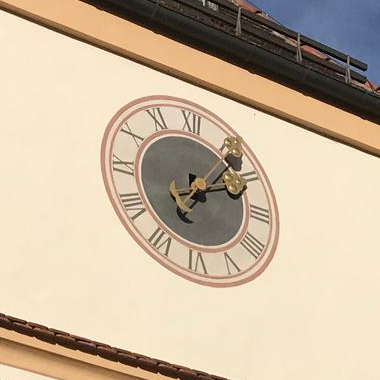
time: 2:06
